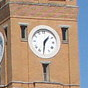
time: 1:31
